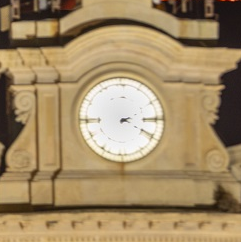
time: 2:19
